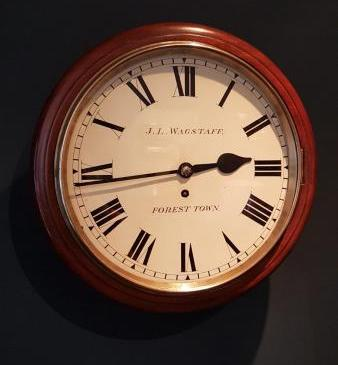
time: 2:43
